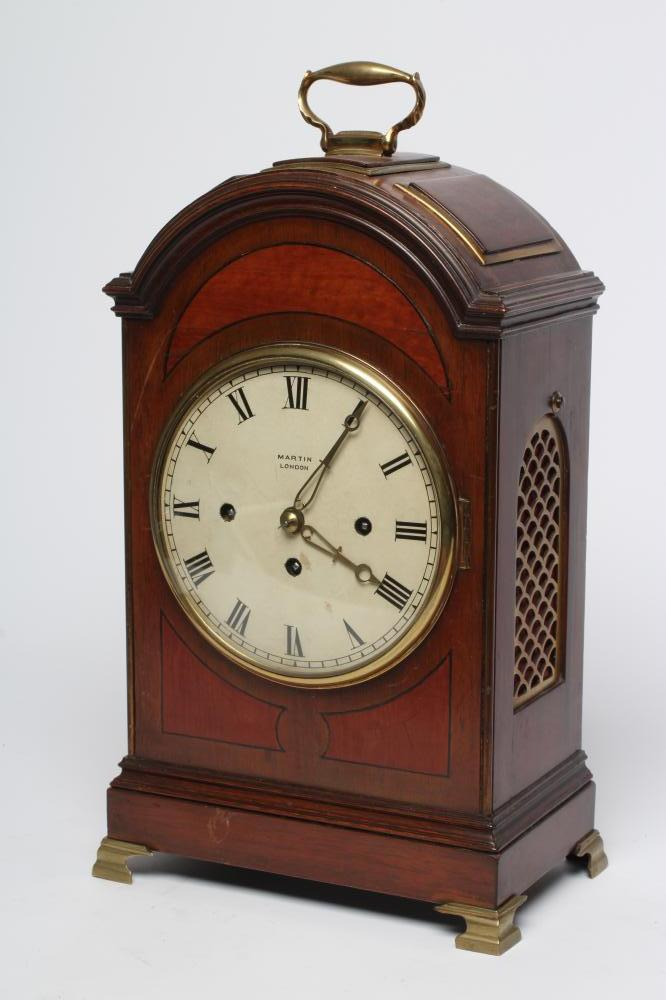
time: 4:05
